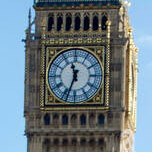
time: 11:33
